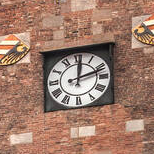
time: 12:11
